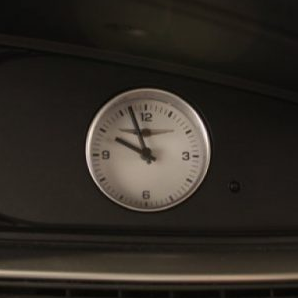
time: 9:56
